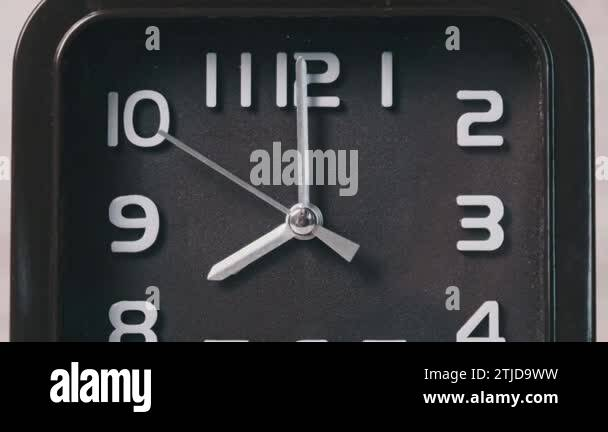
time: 8:00
